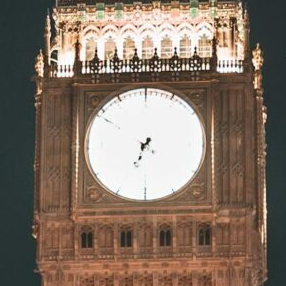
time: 7:34
